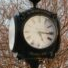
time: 5:15
